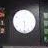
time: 5:30
